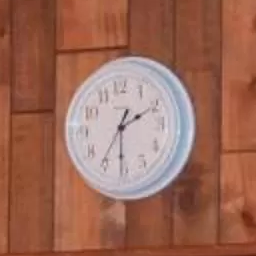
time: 1:10
